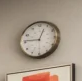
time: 12:46
